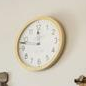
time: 11:47
